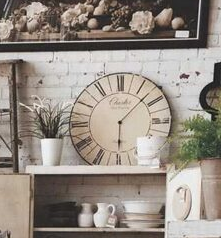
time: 6:07
